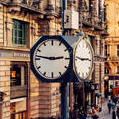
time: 2:46
